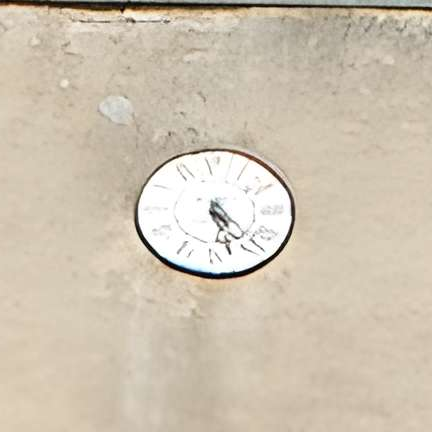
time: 4:27
